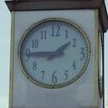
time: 1:45
